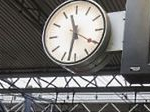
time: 11:32
